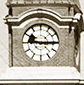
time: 9:14
